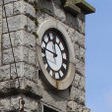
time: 11:46
